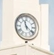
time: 11:21
